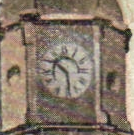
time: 10:28
